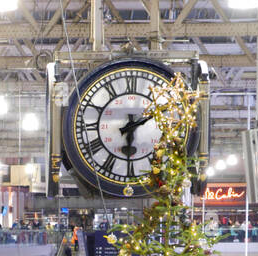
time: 6:10
